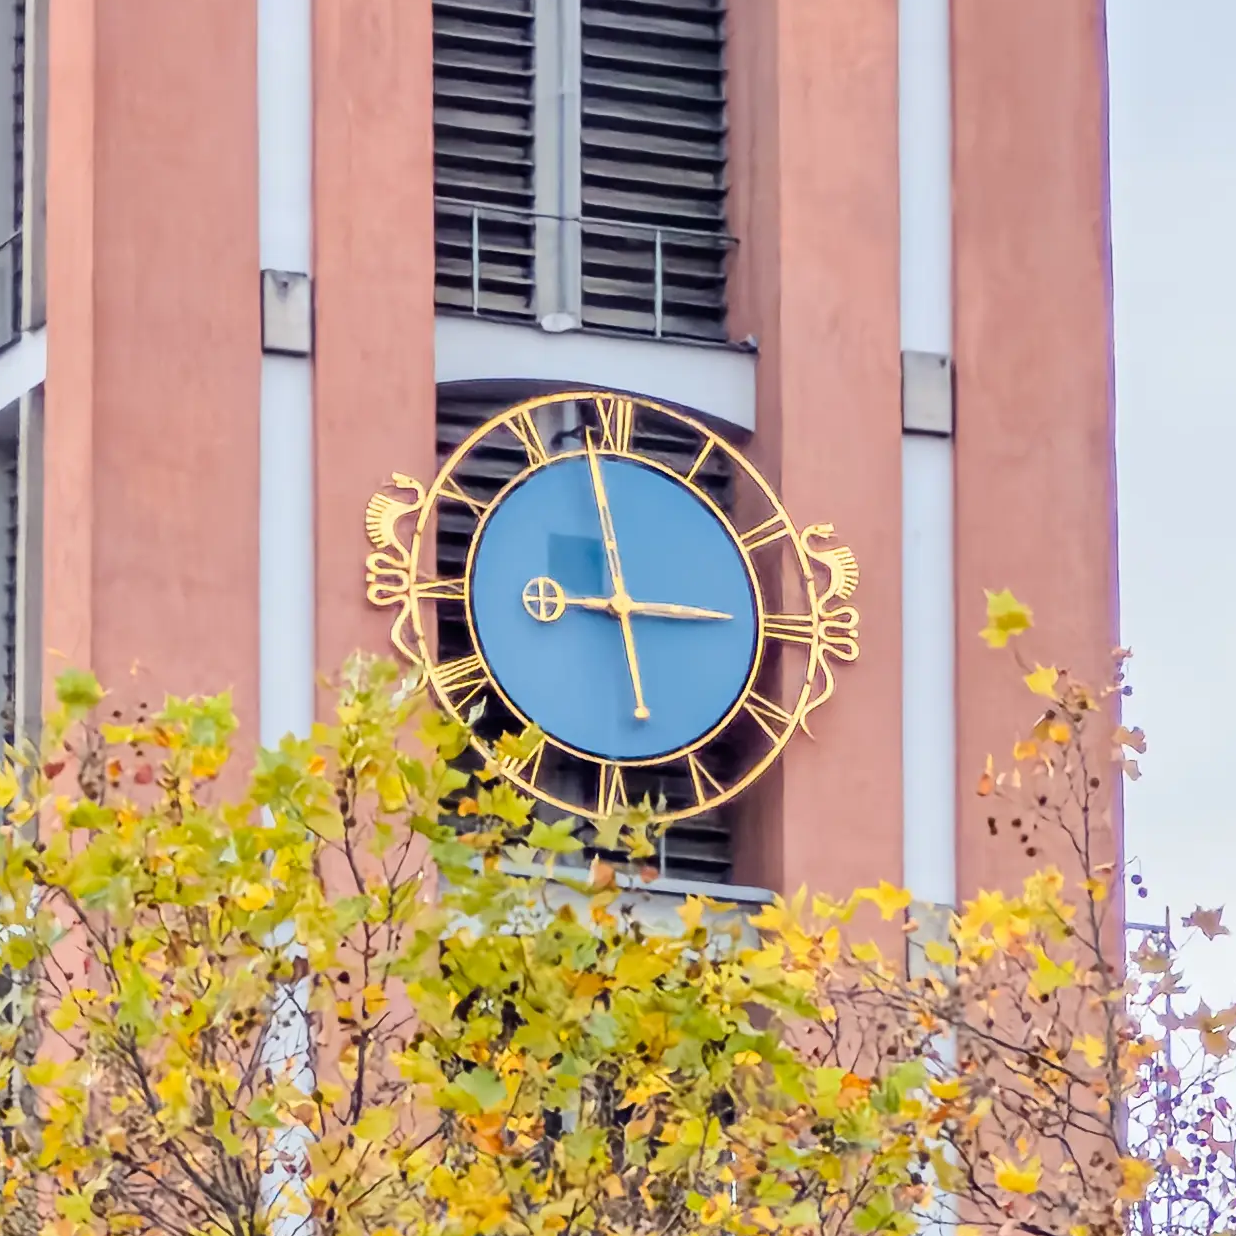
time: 2:58
